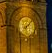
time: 8:07
